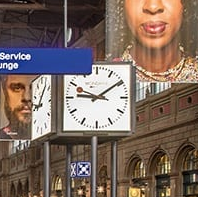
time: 9:09
